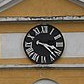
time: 3:22
